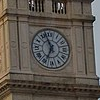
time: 6:56
